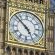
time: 4:52
